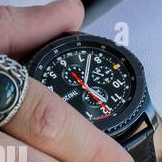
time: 4:02
